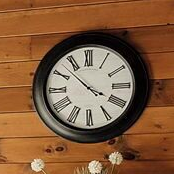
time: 3:52
